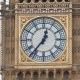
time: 12:36
